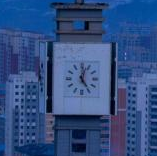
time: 12:23
